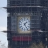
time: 1:24
